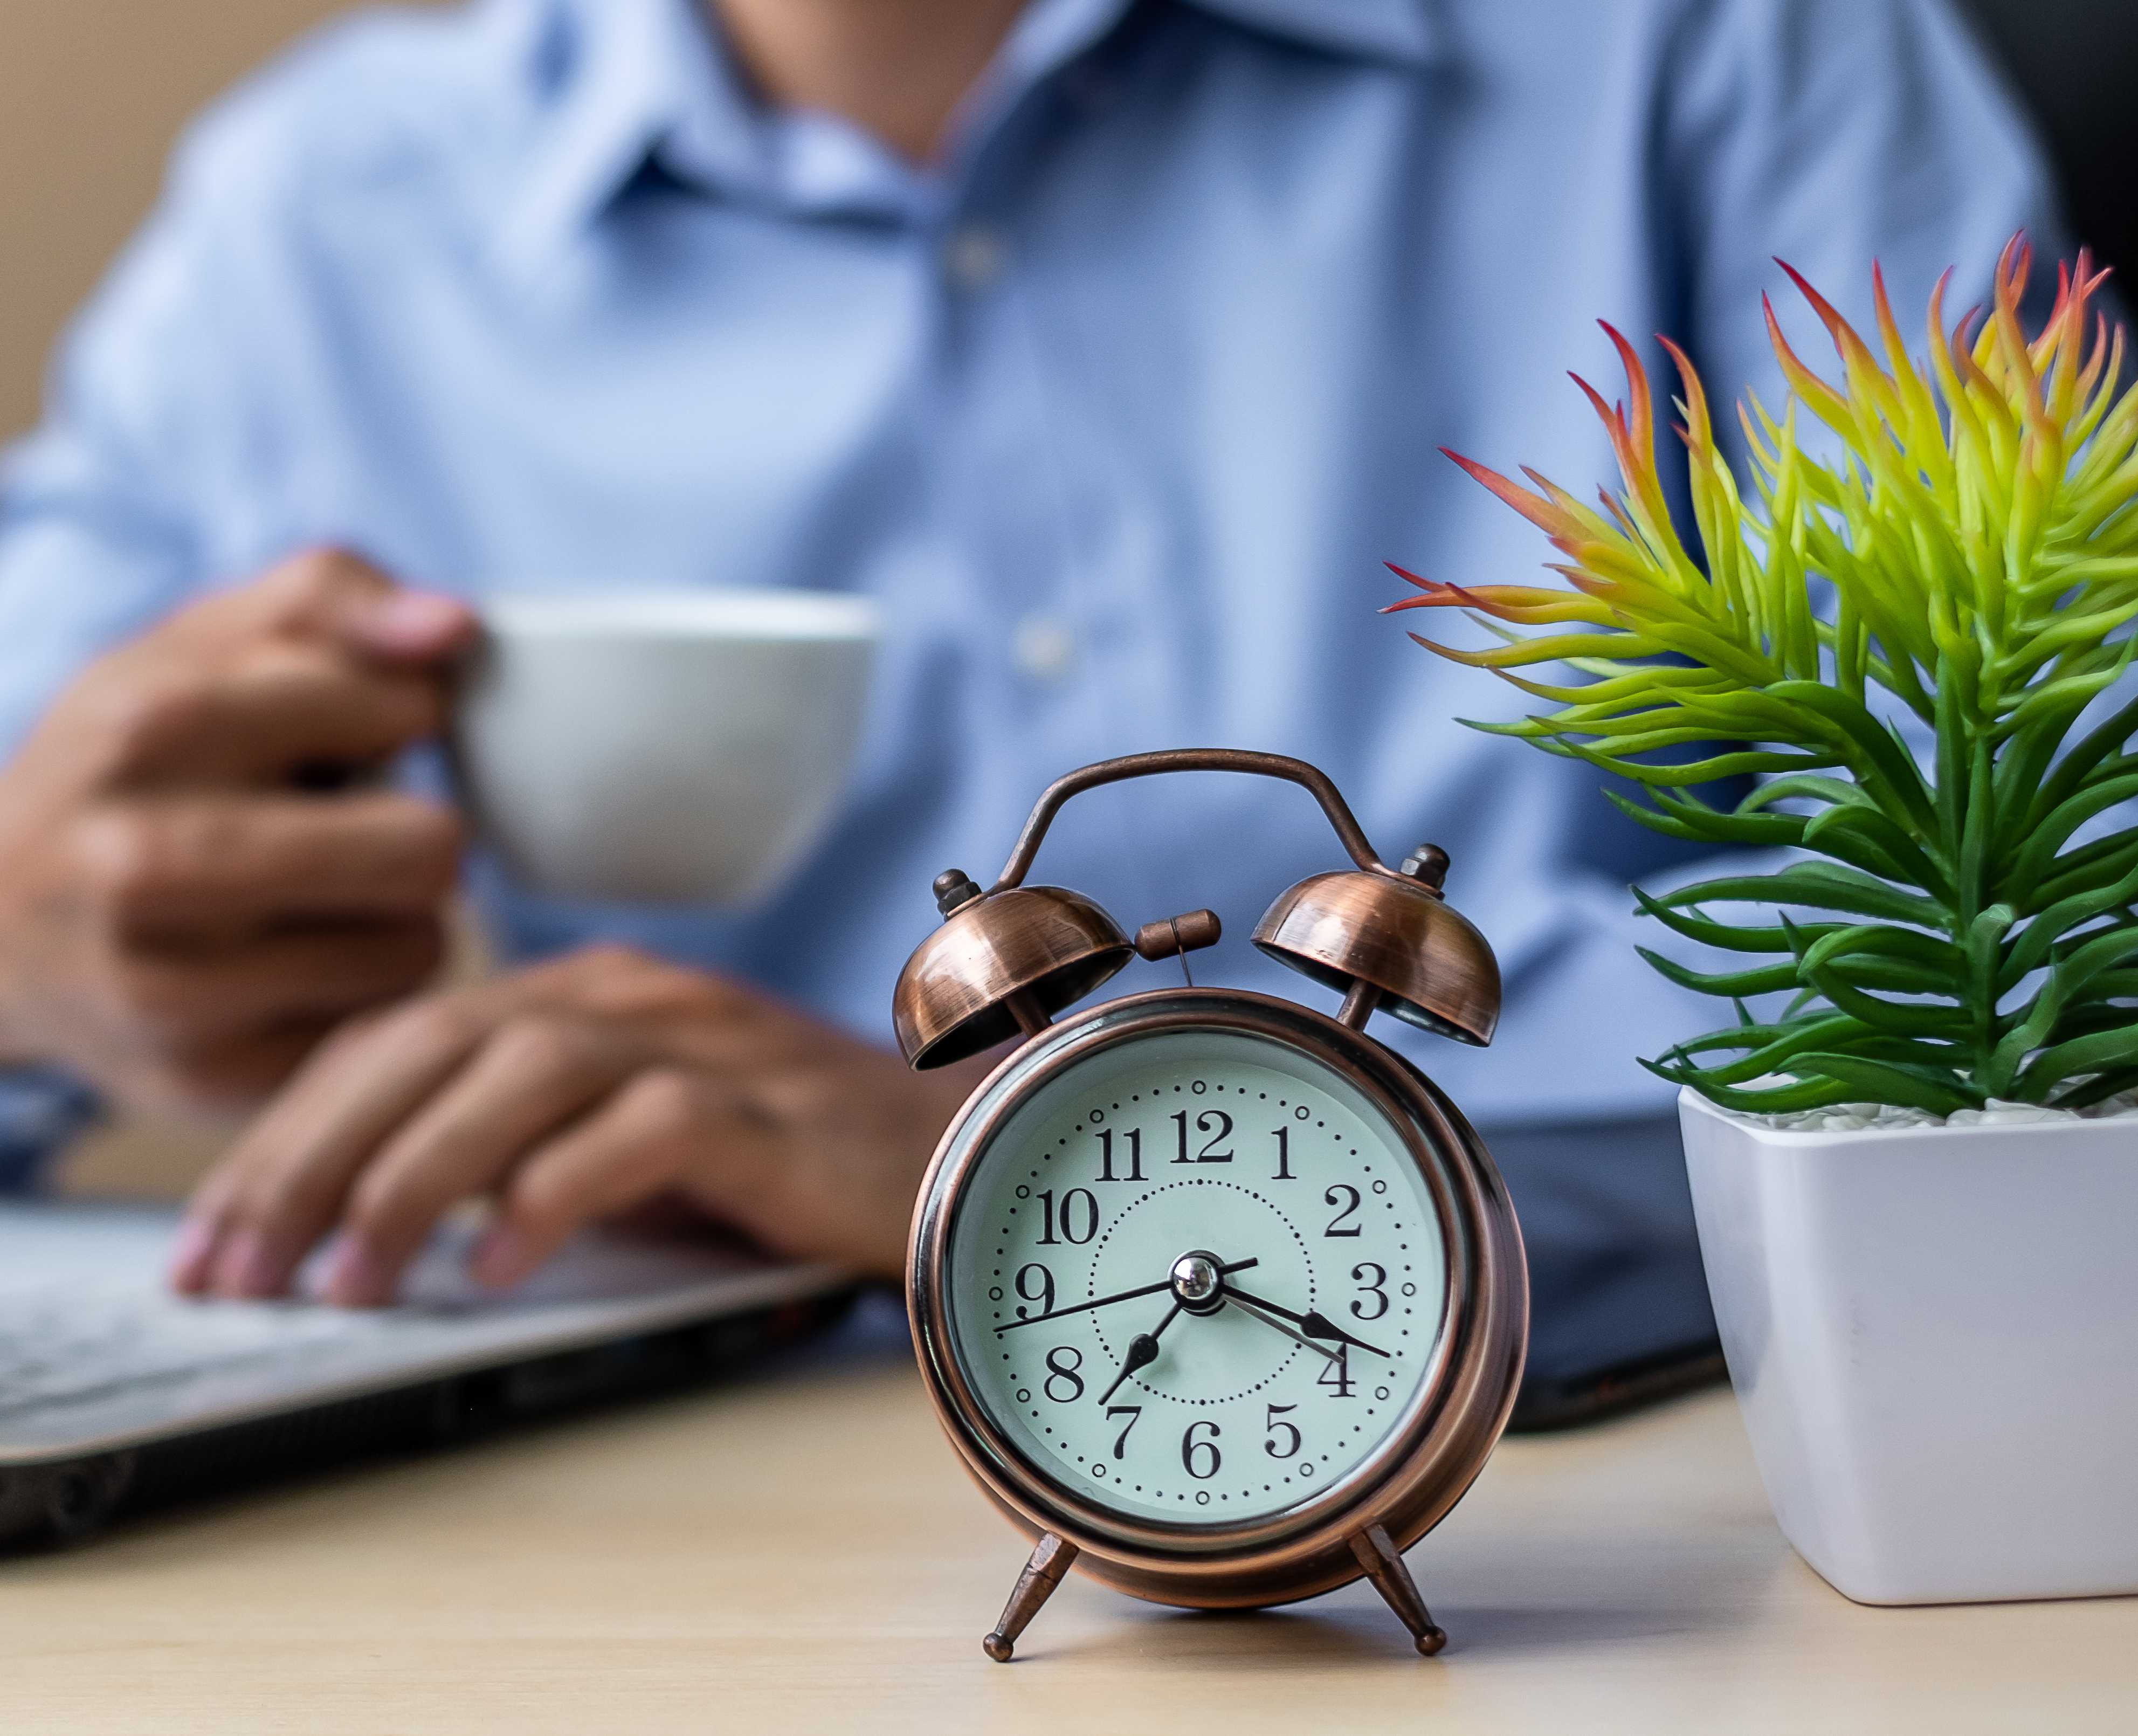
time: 7:18
